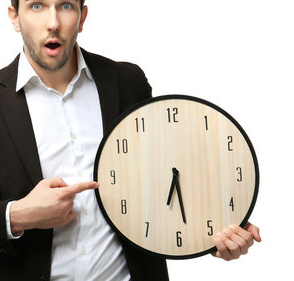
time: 6:28
